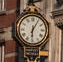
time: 6:05
